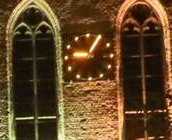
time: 9:05
